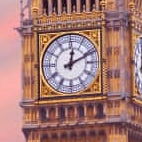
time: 12:10
